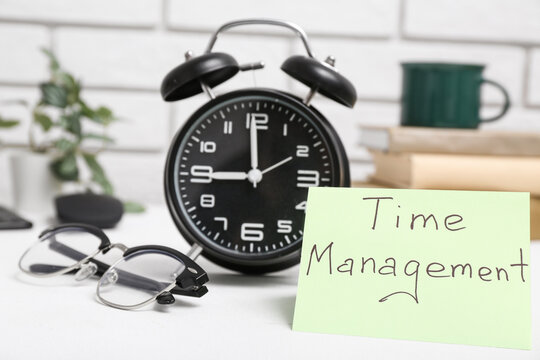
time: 8:59
